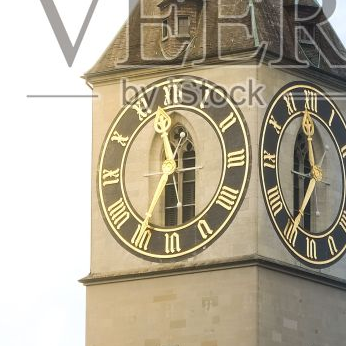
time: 11:35
